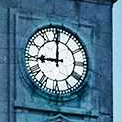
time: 8:59
